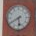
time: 5:40
